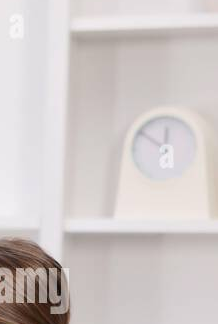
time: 11:50
